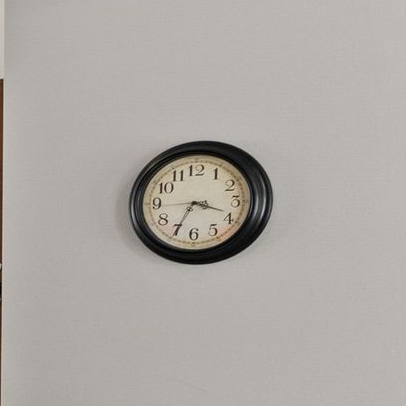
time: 3:34
